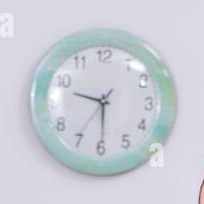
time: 9:29
